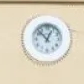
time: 12:52
